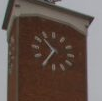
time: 10:35
